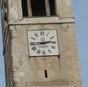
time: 2:45
